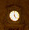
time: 5:00
